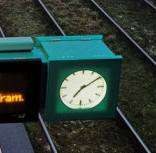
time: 7:09
